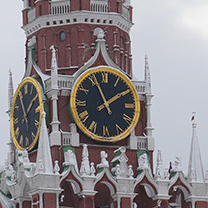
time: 1:56
